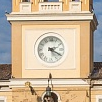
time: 2:20
